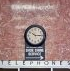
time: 10:14
